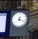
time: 12:18
